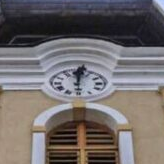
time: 12:01
